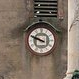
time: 9:48
